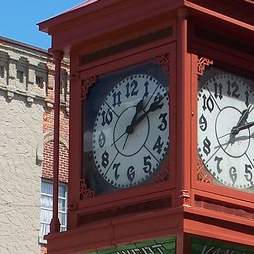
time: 1:11
